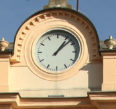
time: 1:07
